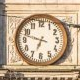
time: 6:47
